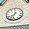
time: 7:32
